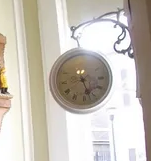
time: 5:26
